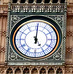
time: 5:00
